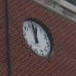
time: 11:57
